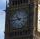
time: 10:43
